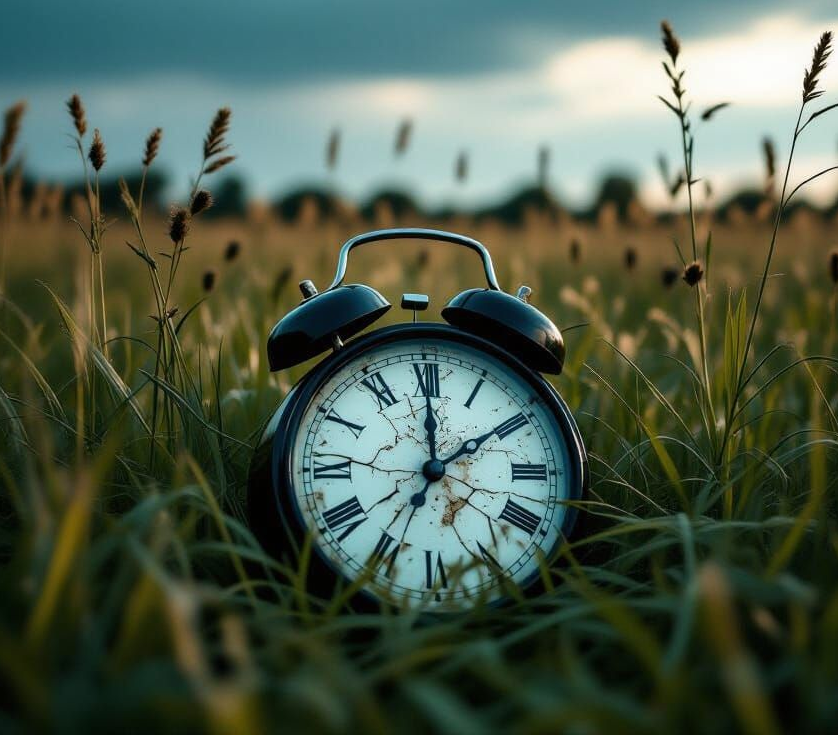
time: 12:09
